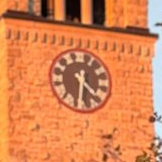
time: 4:30
